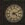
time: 4:11
